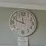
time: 11:48
